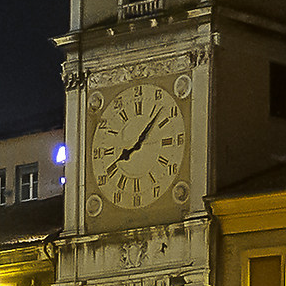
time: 8:07
